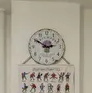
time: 2:50
